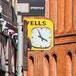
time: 3:56
